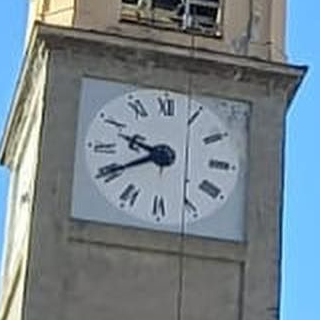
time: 9:40
